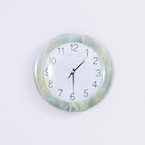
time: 1:29
